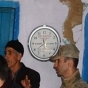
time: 7:44
